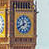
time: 11:40
